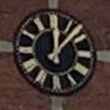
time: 12:07
